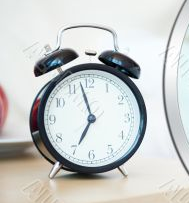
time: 6:57
